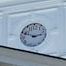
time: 2:48
